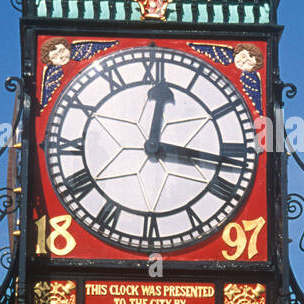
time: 12:16
